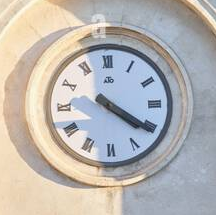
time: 4:20
